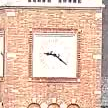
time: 9:21
